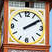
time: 2:09
